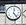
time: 12:23
